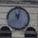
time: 11:02
